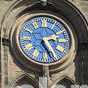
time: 2:25
